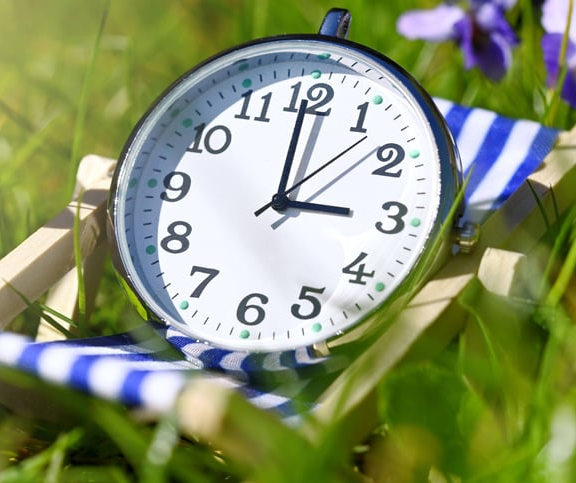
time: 2:59
